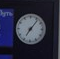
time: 7:06
